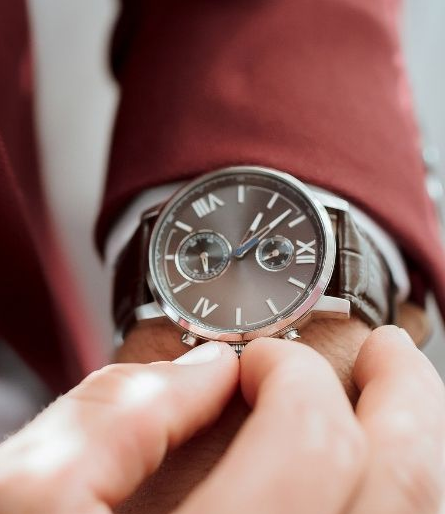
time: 12:07
